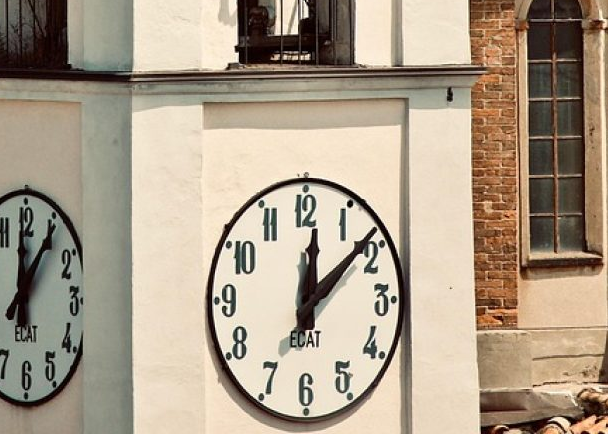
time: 12:08
